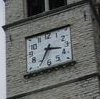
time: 3:34
